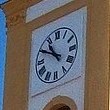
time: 10:49
